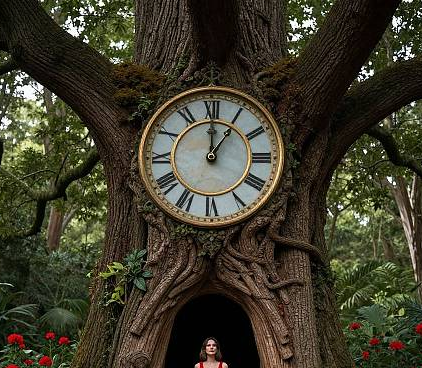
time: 12:05
